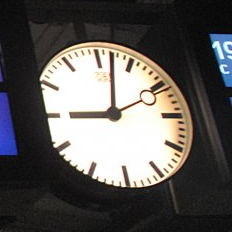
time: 9:02
